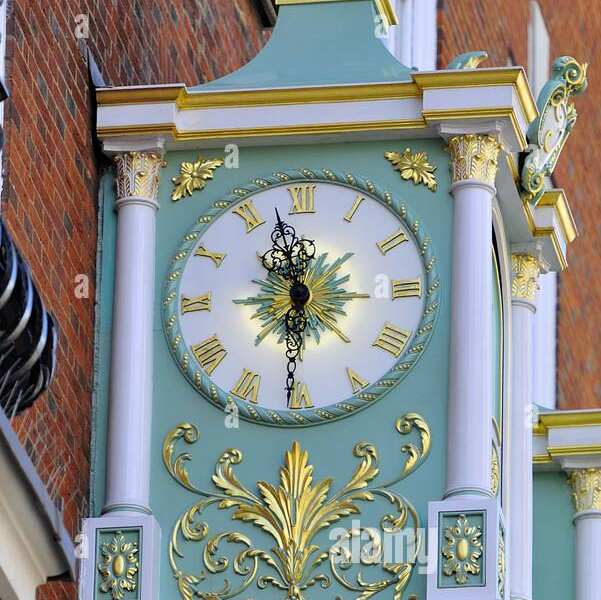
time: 5:57
